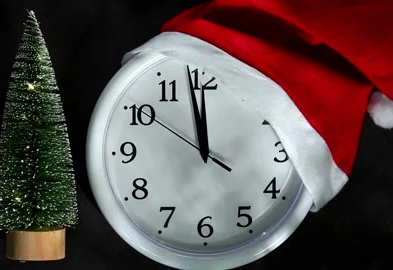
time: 11:58
